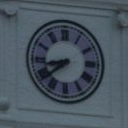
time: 8:38
